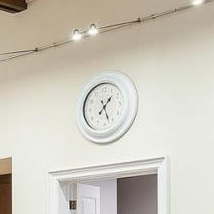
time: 1:26
